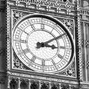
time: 3:09
